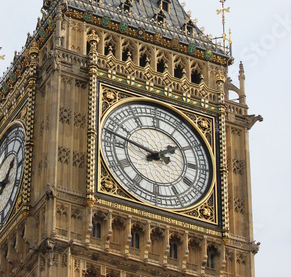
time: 1:47
